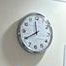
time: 11:40
